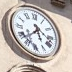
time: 11:37
